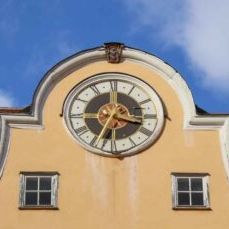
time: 3:34
